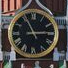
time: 2:55
